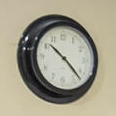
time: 10:22
